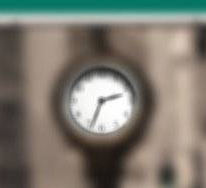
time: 2:33
